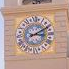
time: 3:09
